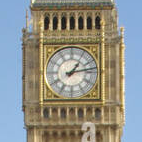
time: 1:13
